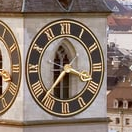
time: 11:36
